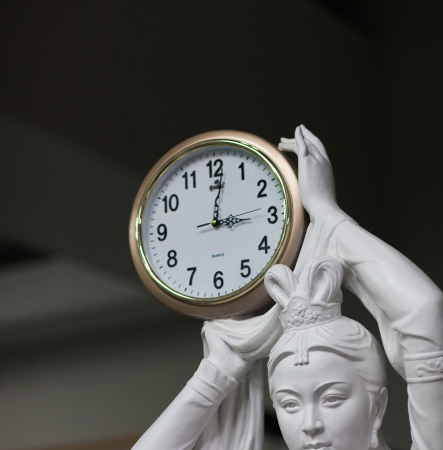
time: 3:01
